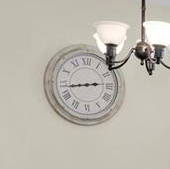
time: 2:43
